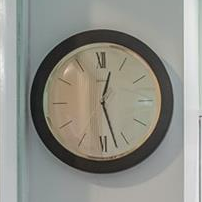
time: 12:27
